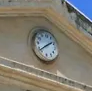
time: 1:38
